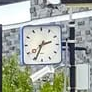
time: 2:34
